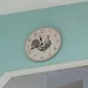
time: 11:42
